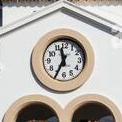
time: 11:34
